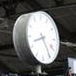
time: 8:24
